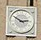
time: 2:50
